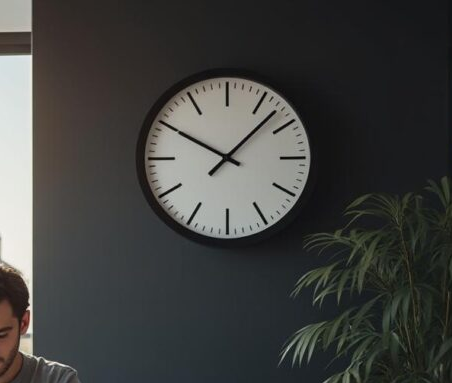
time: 10:07
